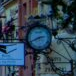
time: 2:40
